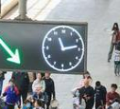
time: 11:13
